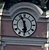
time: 5:55
